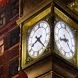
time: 8:23
